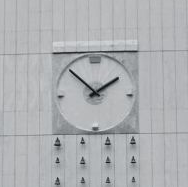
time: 1:52
